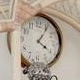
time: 4:05
